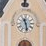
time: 11:28
